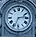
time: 2:33
